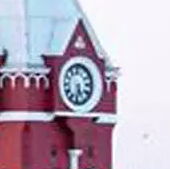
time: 5:31
